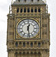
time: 12:28
